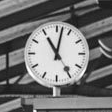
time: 11:02
